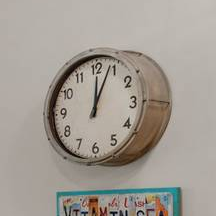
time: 12:03
